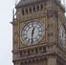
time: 12:30
